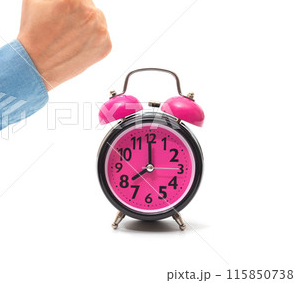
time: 7:59
